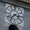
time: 7:15
